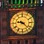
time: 9:22
